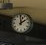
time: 2:00
